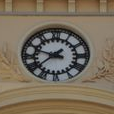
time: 9:38
